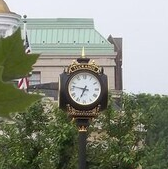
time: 6:47
